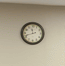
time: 11:42
